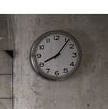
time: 8:06
